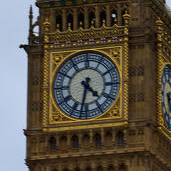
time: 4:32
